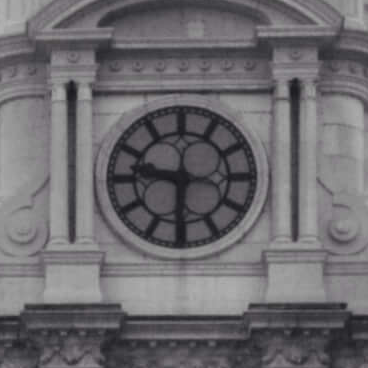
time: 9:30
